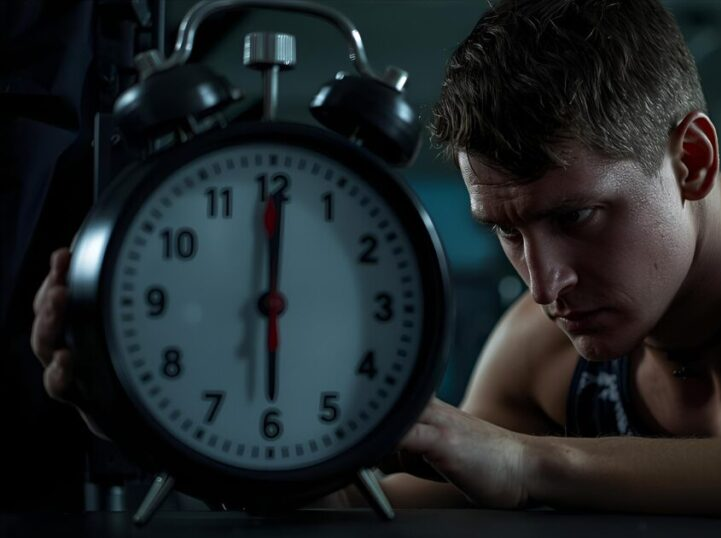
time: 6:00
